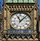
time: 11:07
